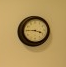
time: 3:45
